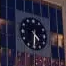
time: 4:30
